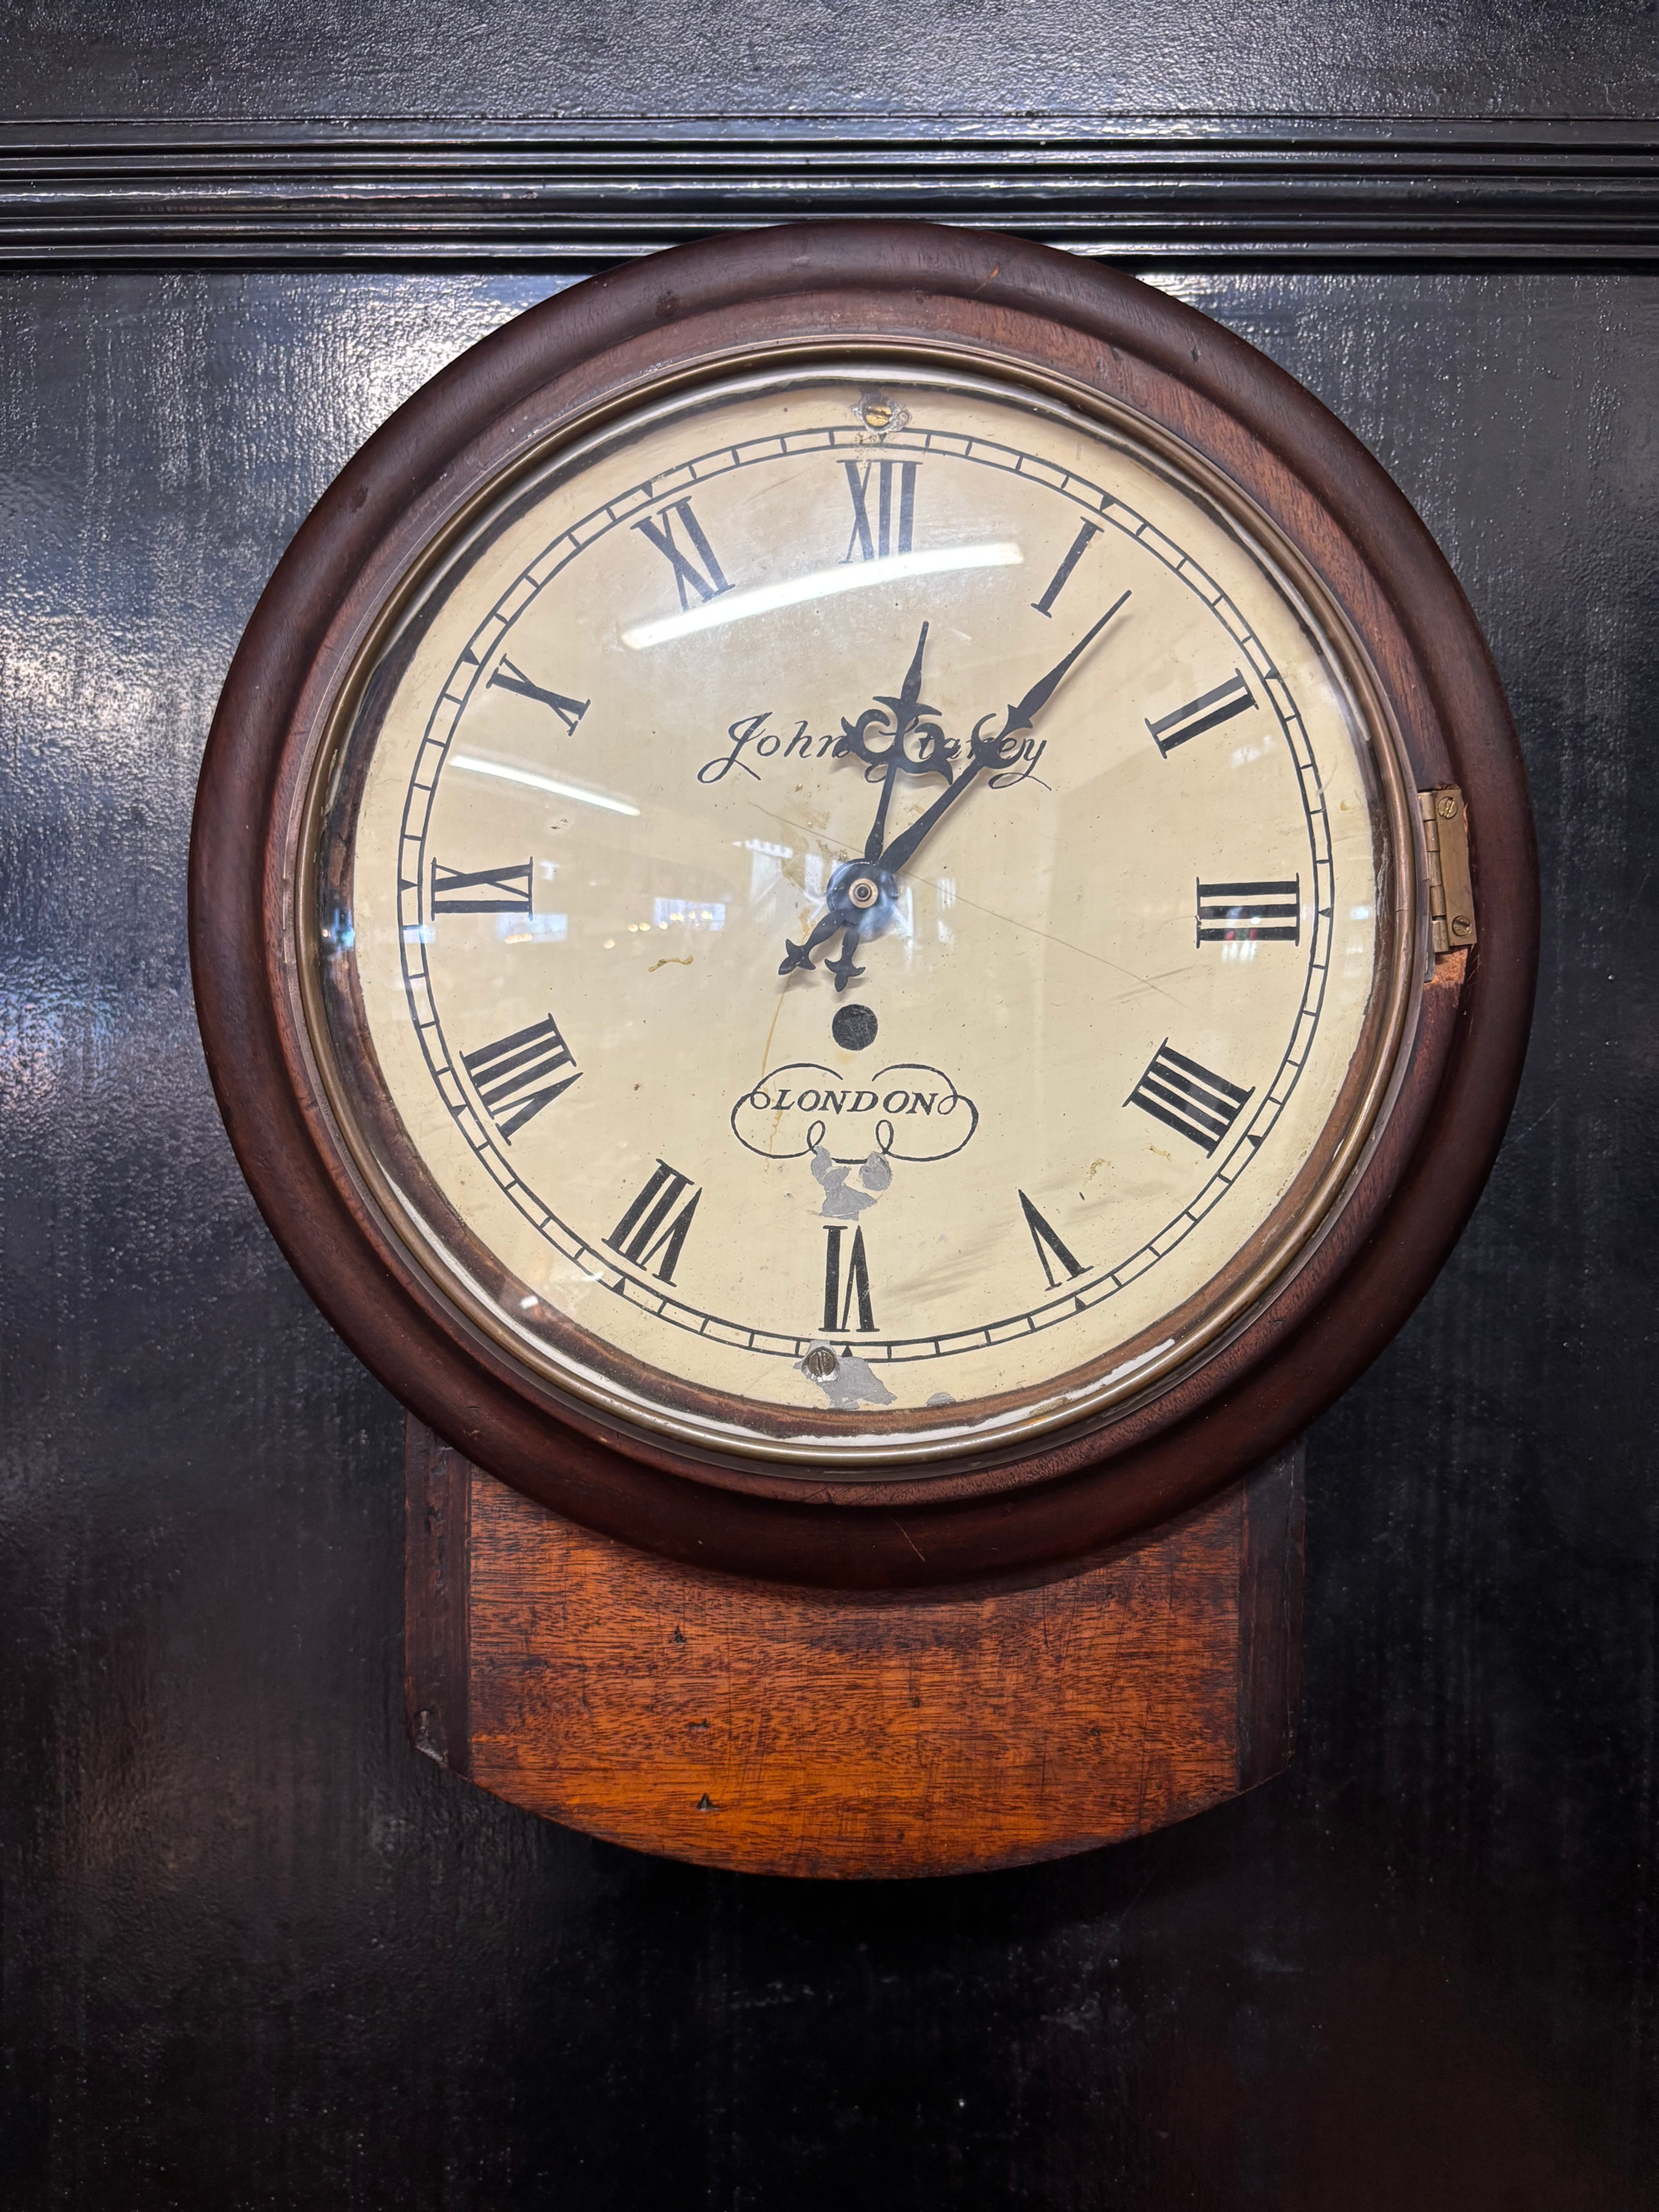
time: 12:06
